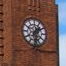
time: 1:28
